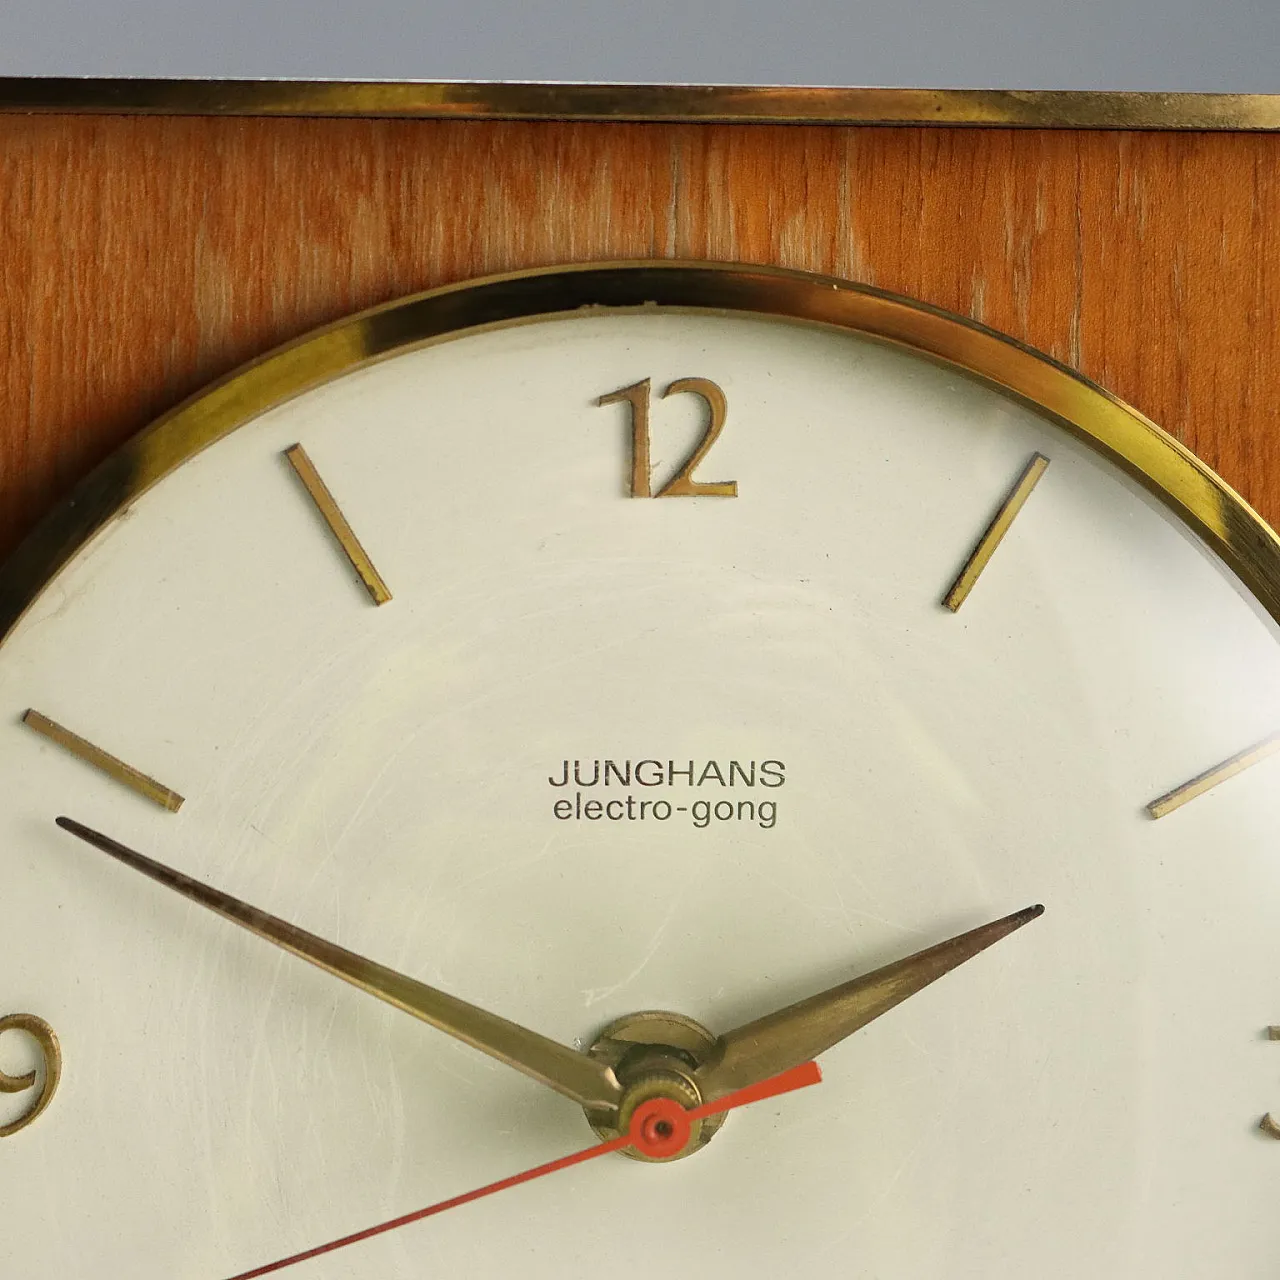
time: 2:11
